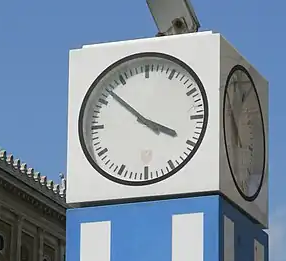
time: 3:52
